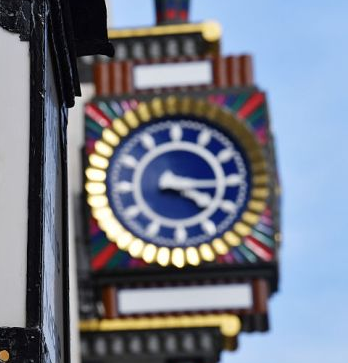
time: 4:15
